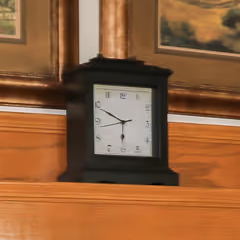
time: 5:49
